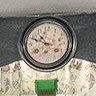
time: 10:48
